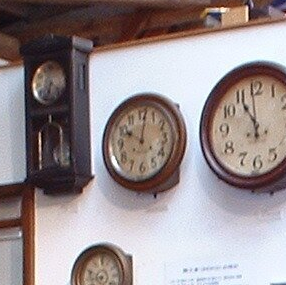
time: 10:01
